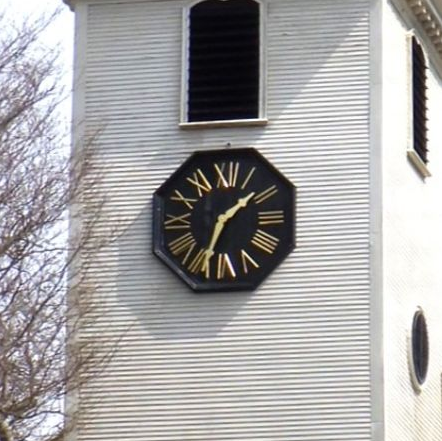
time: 1:33
